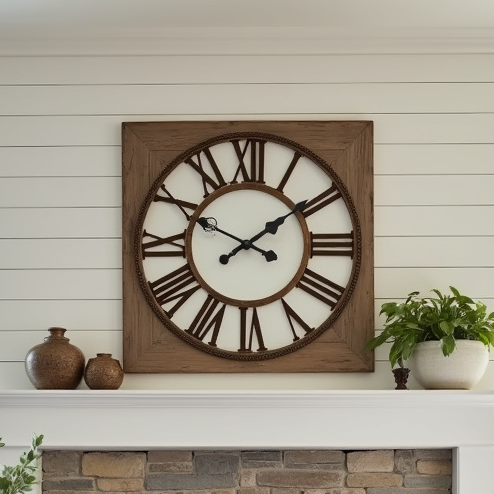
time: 1:49
